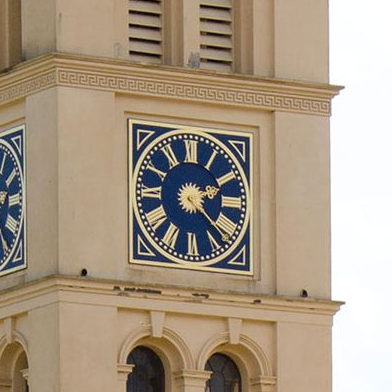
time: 2:21
